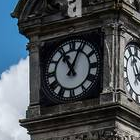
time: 11:04
